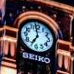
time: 6:58
